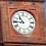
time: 10:45
